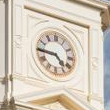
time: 4:44
